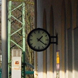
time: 1:21
